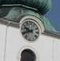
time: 9:41
